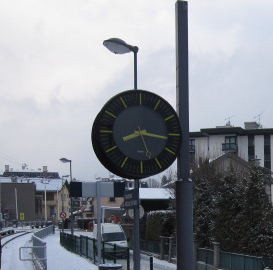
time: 8:16
